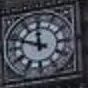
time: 11:48
